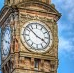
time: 3:52
